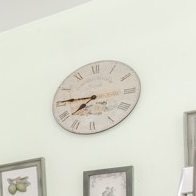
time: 7:45
